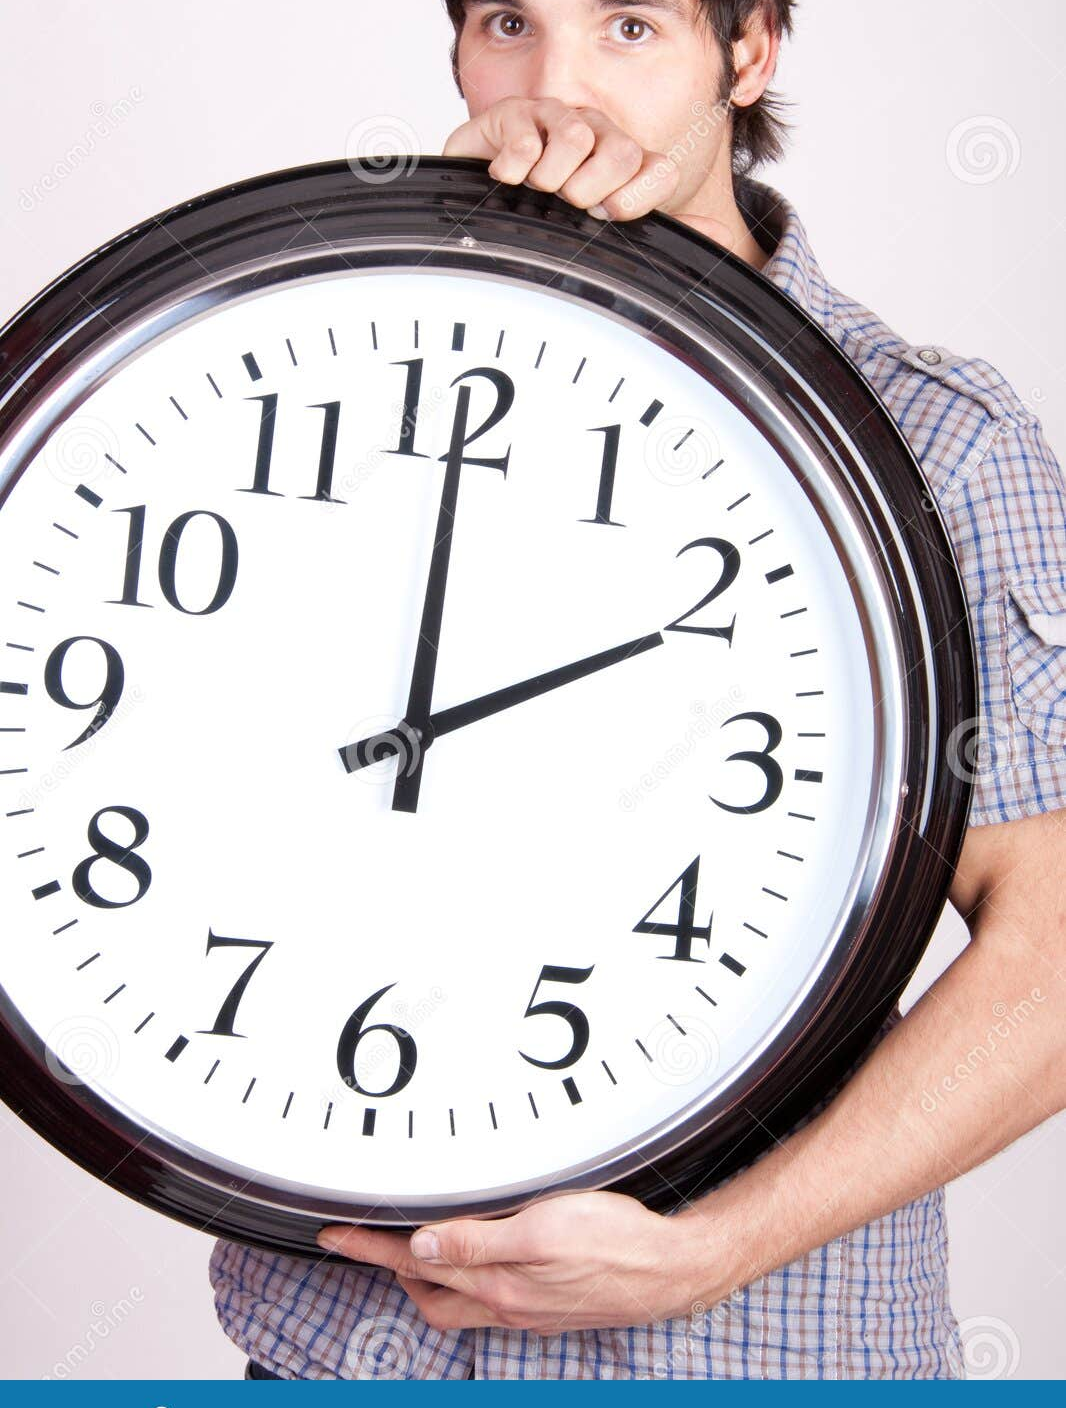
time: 2:00
